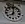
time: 8:01
